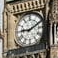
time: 9:10
